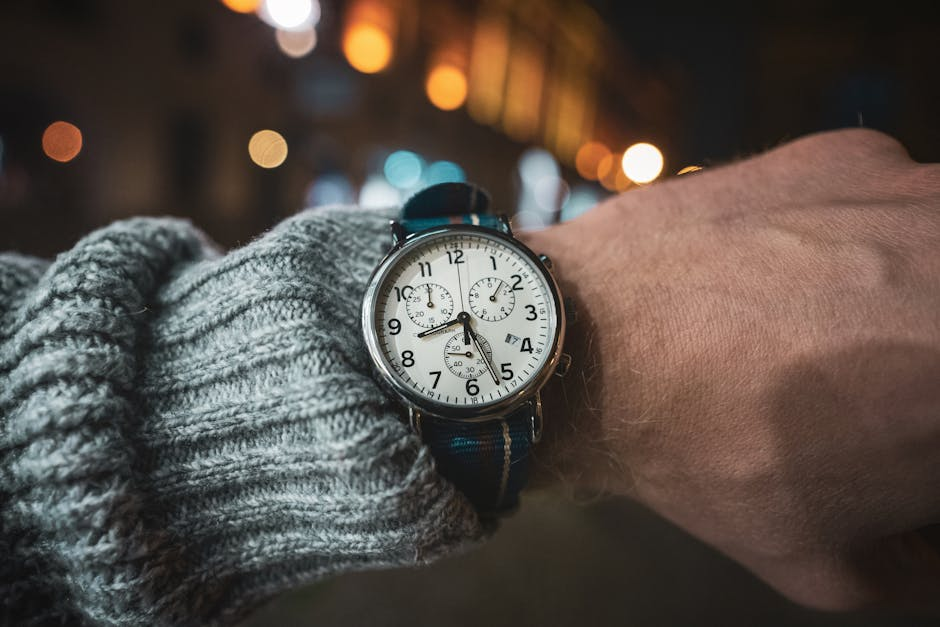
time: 8:26
